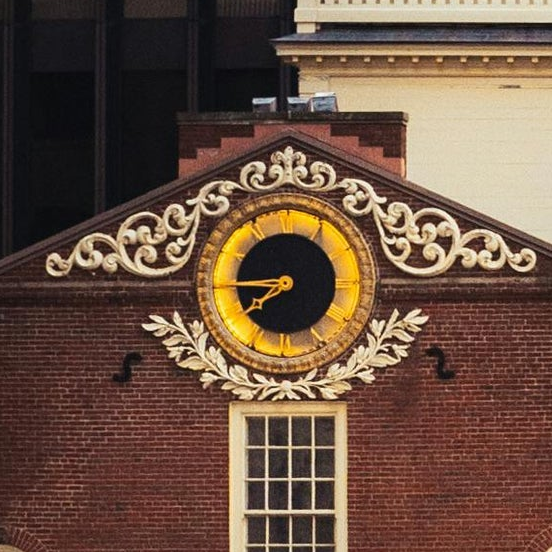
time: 7:44
